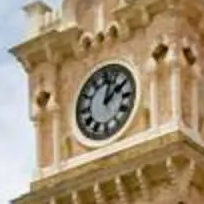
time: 2:02
